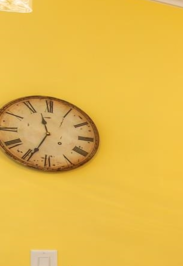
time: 11:34
